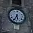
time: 5:34
